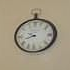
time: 9:42
